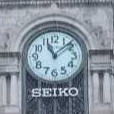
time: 11:08
